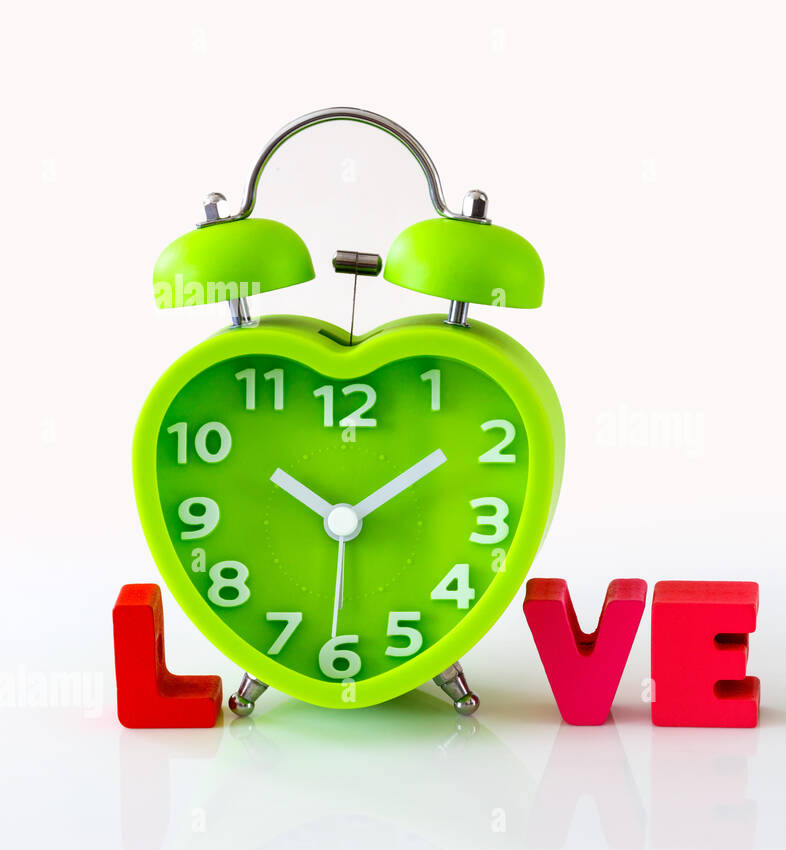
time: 10:09
